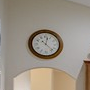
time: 12:23
